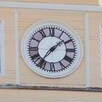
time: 1:36
